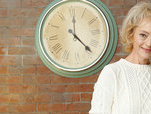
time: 12:23
